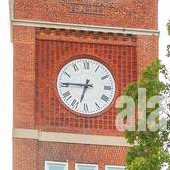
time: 6:45
